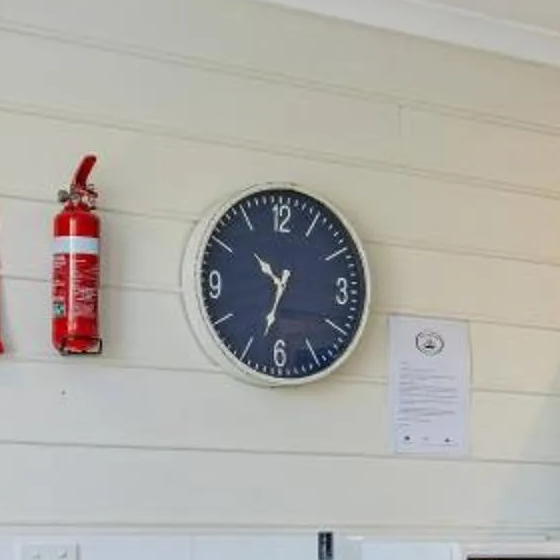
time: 10:33
